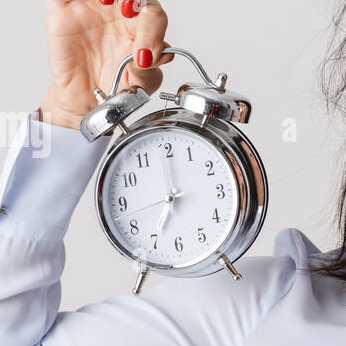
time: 7:00
